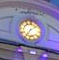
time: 7:08
